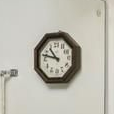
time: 10:47
